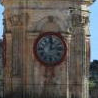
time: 12:12
